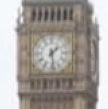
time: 1:28
